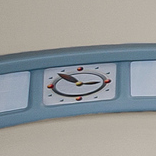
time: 2:53
